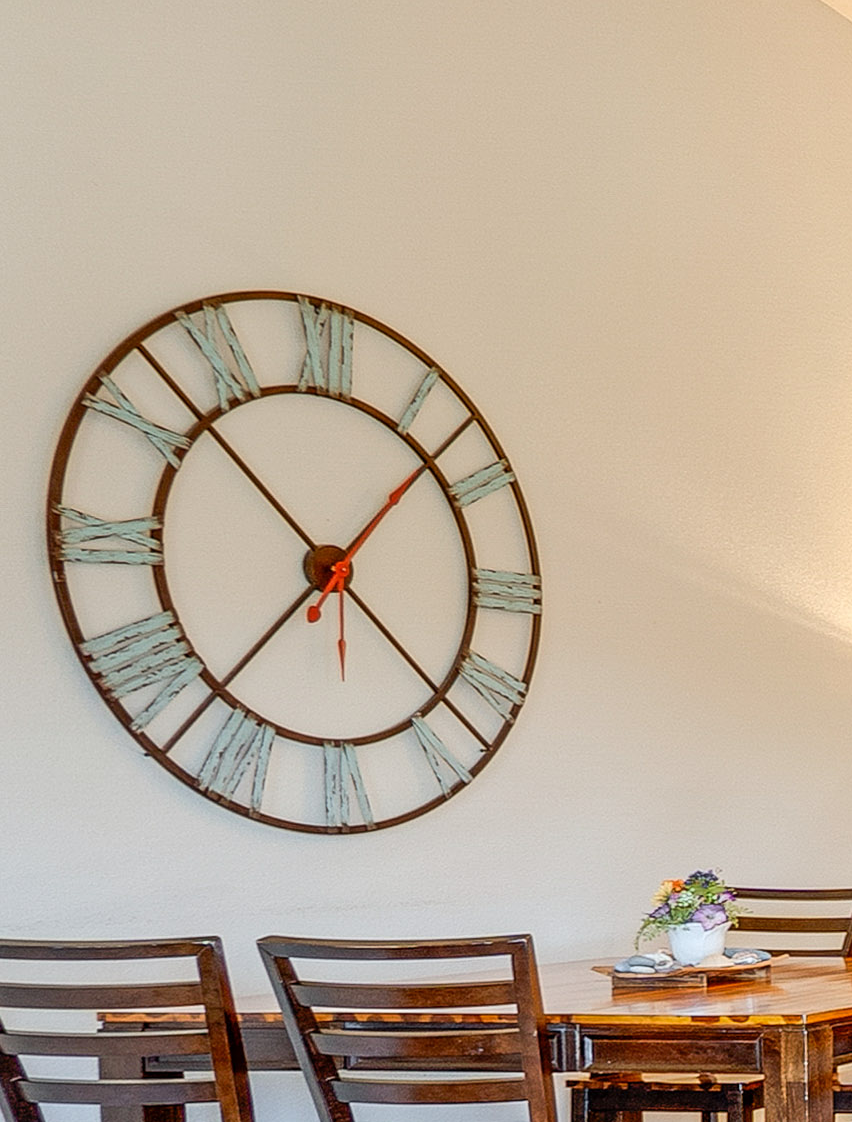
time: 1:37
